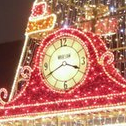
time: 3:40
